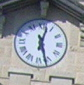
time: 12:27
